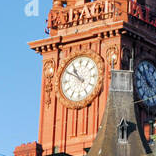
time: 10:50
